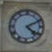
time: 4:10
